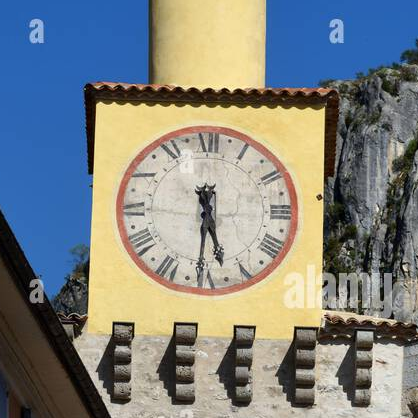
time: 5:30
